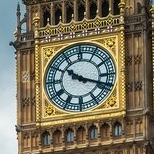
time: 10:18
